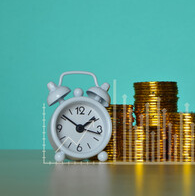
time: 1:51
